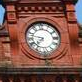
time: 7:47
